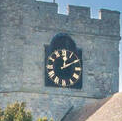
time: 12:09
